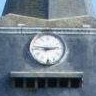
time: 2:46
